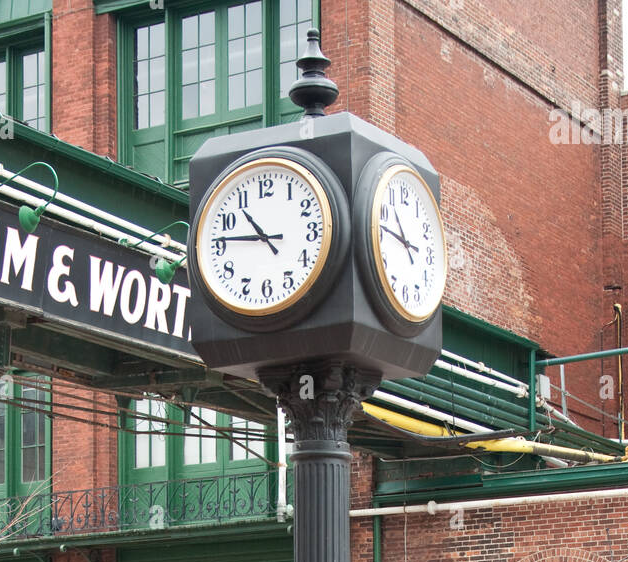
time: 10:46
